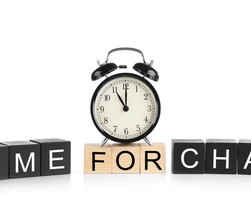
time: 11:00
